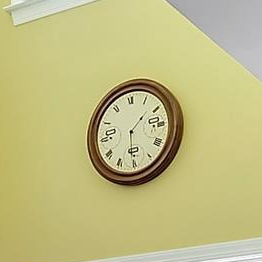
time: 1:30
